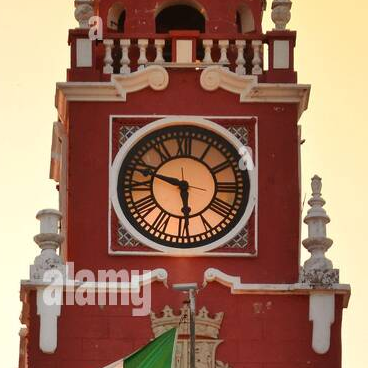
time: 5:47
